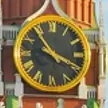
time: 3:53
